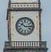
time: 10:15
